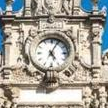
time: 5:04
